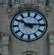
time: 10:14
